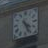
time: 4:26
